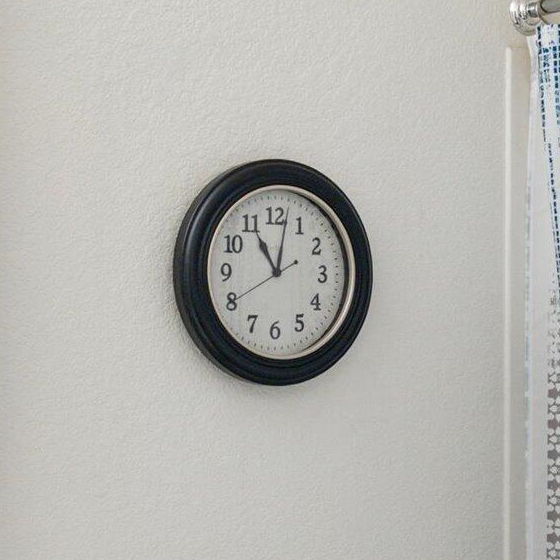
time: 11:01
